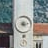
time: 4:12
